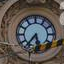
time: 5:36
